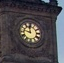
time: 11:46
